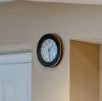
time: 1:28
